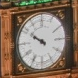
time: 9:50
